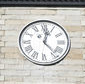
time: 12:23
